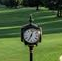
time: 12:34
